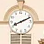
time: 8:11
